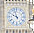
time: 9:57
